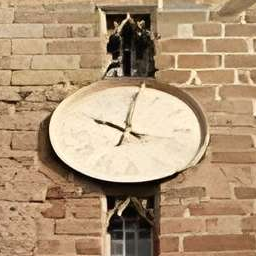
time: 10:02
